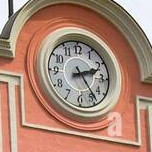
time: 2:23
